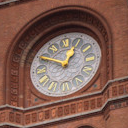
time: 12:49
